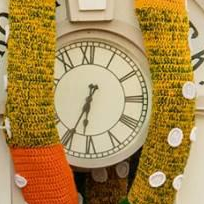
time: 6:35
